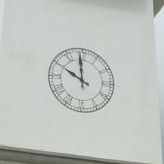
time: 9:59
